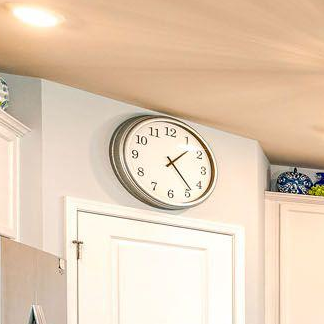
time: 1:23
